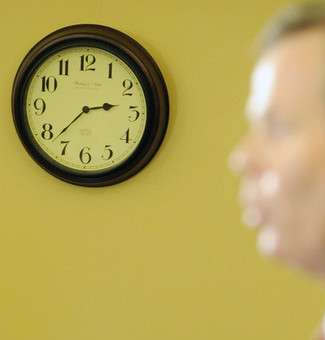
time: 2:37
